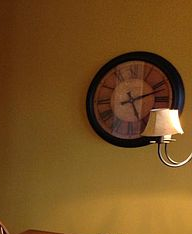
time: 5:12
